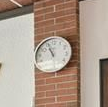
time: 10:55
